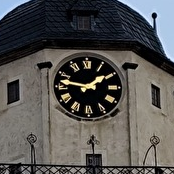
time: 1:47
